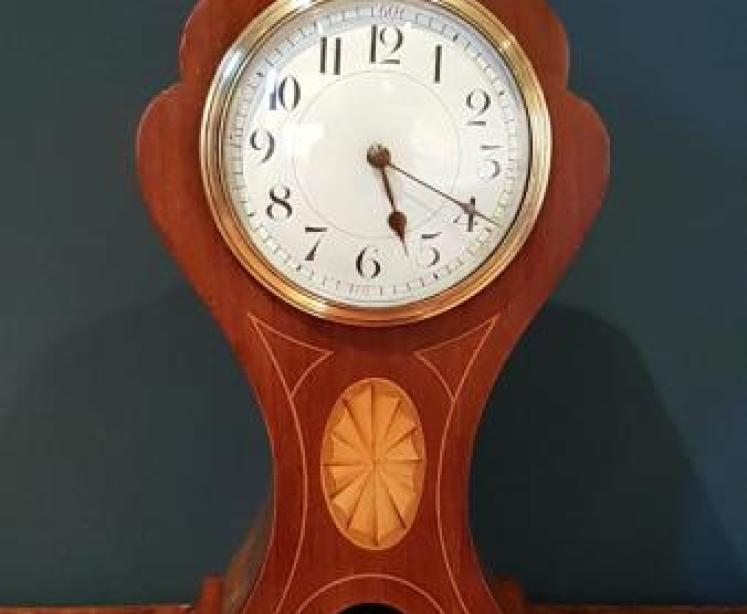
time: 5:19
